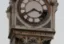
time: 3:39
